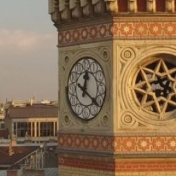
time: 12:20
